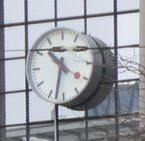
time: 10:32
